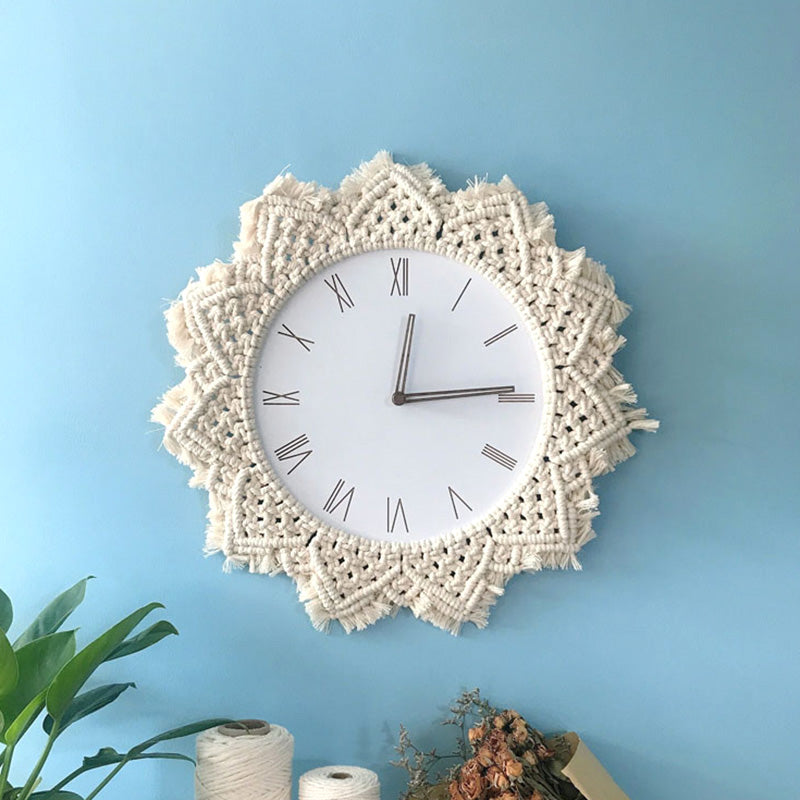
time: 12:14
